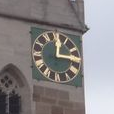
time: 12:14
